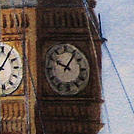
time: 10:06
